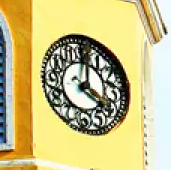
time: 4:01
